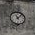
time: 11:07
